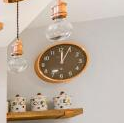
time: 12:04
